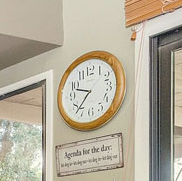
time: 9:37
